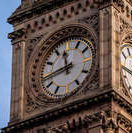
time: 11:43
